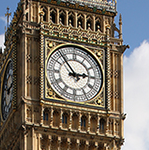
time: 2:53
